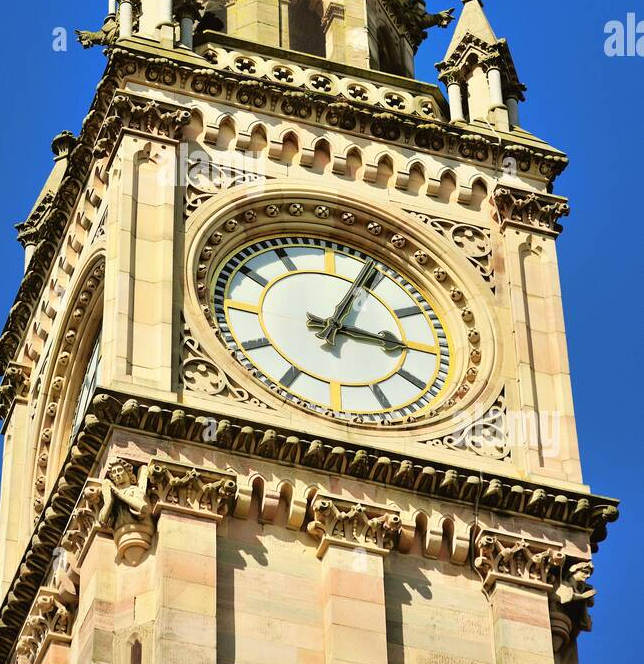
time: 3:04
